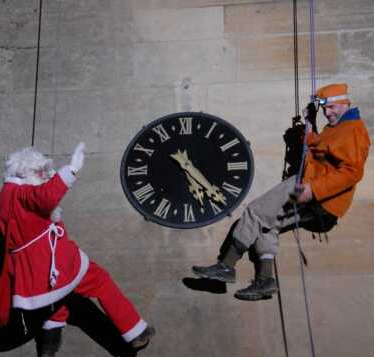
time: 5:23
